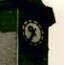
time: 9:36
